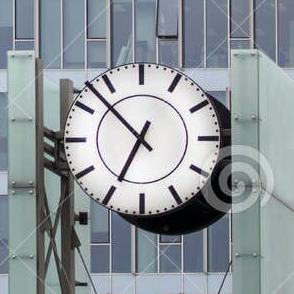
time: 6:52
